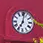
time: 7:01
